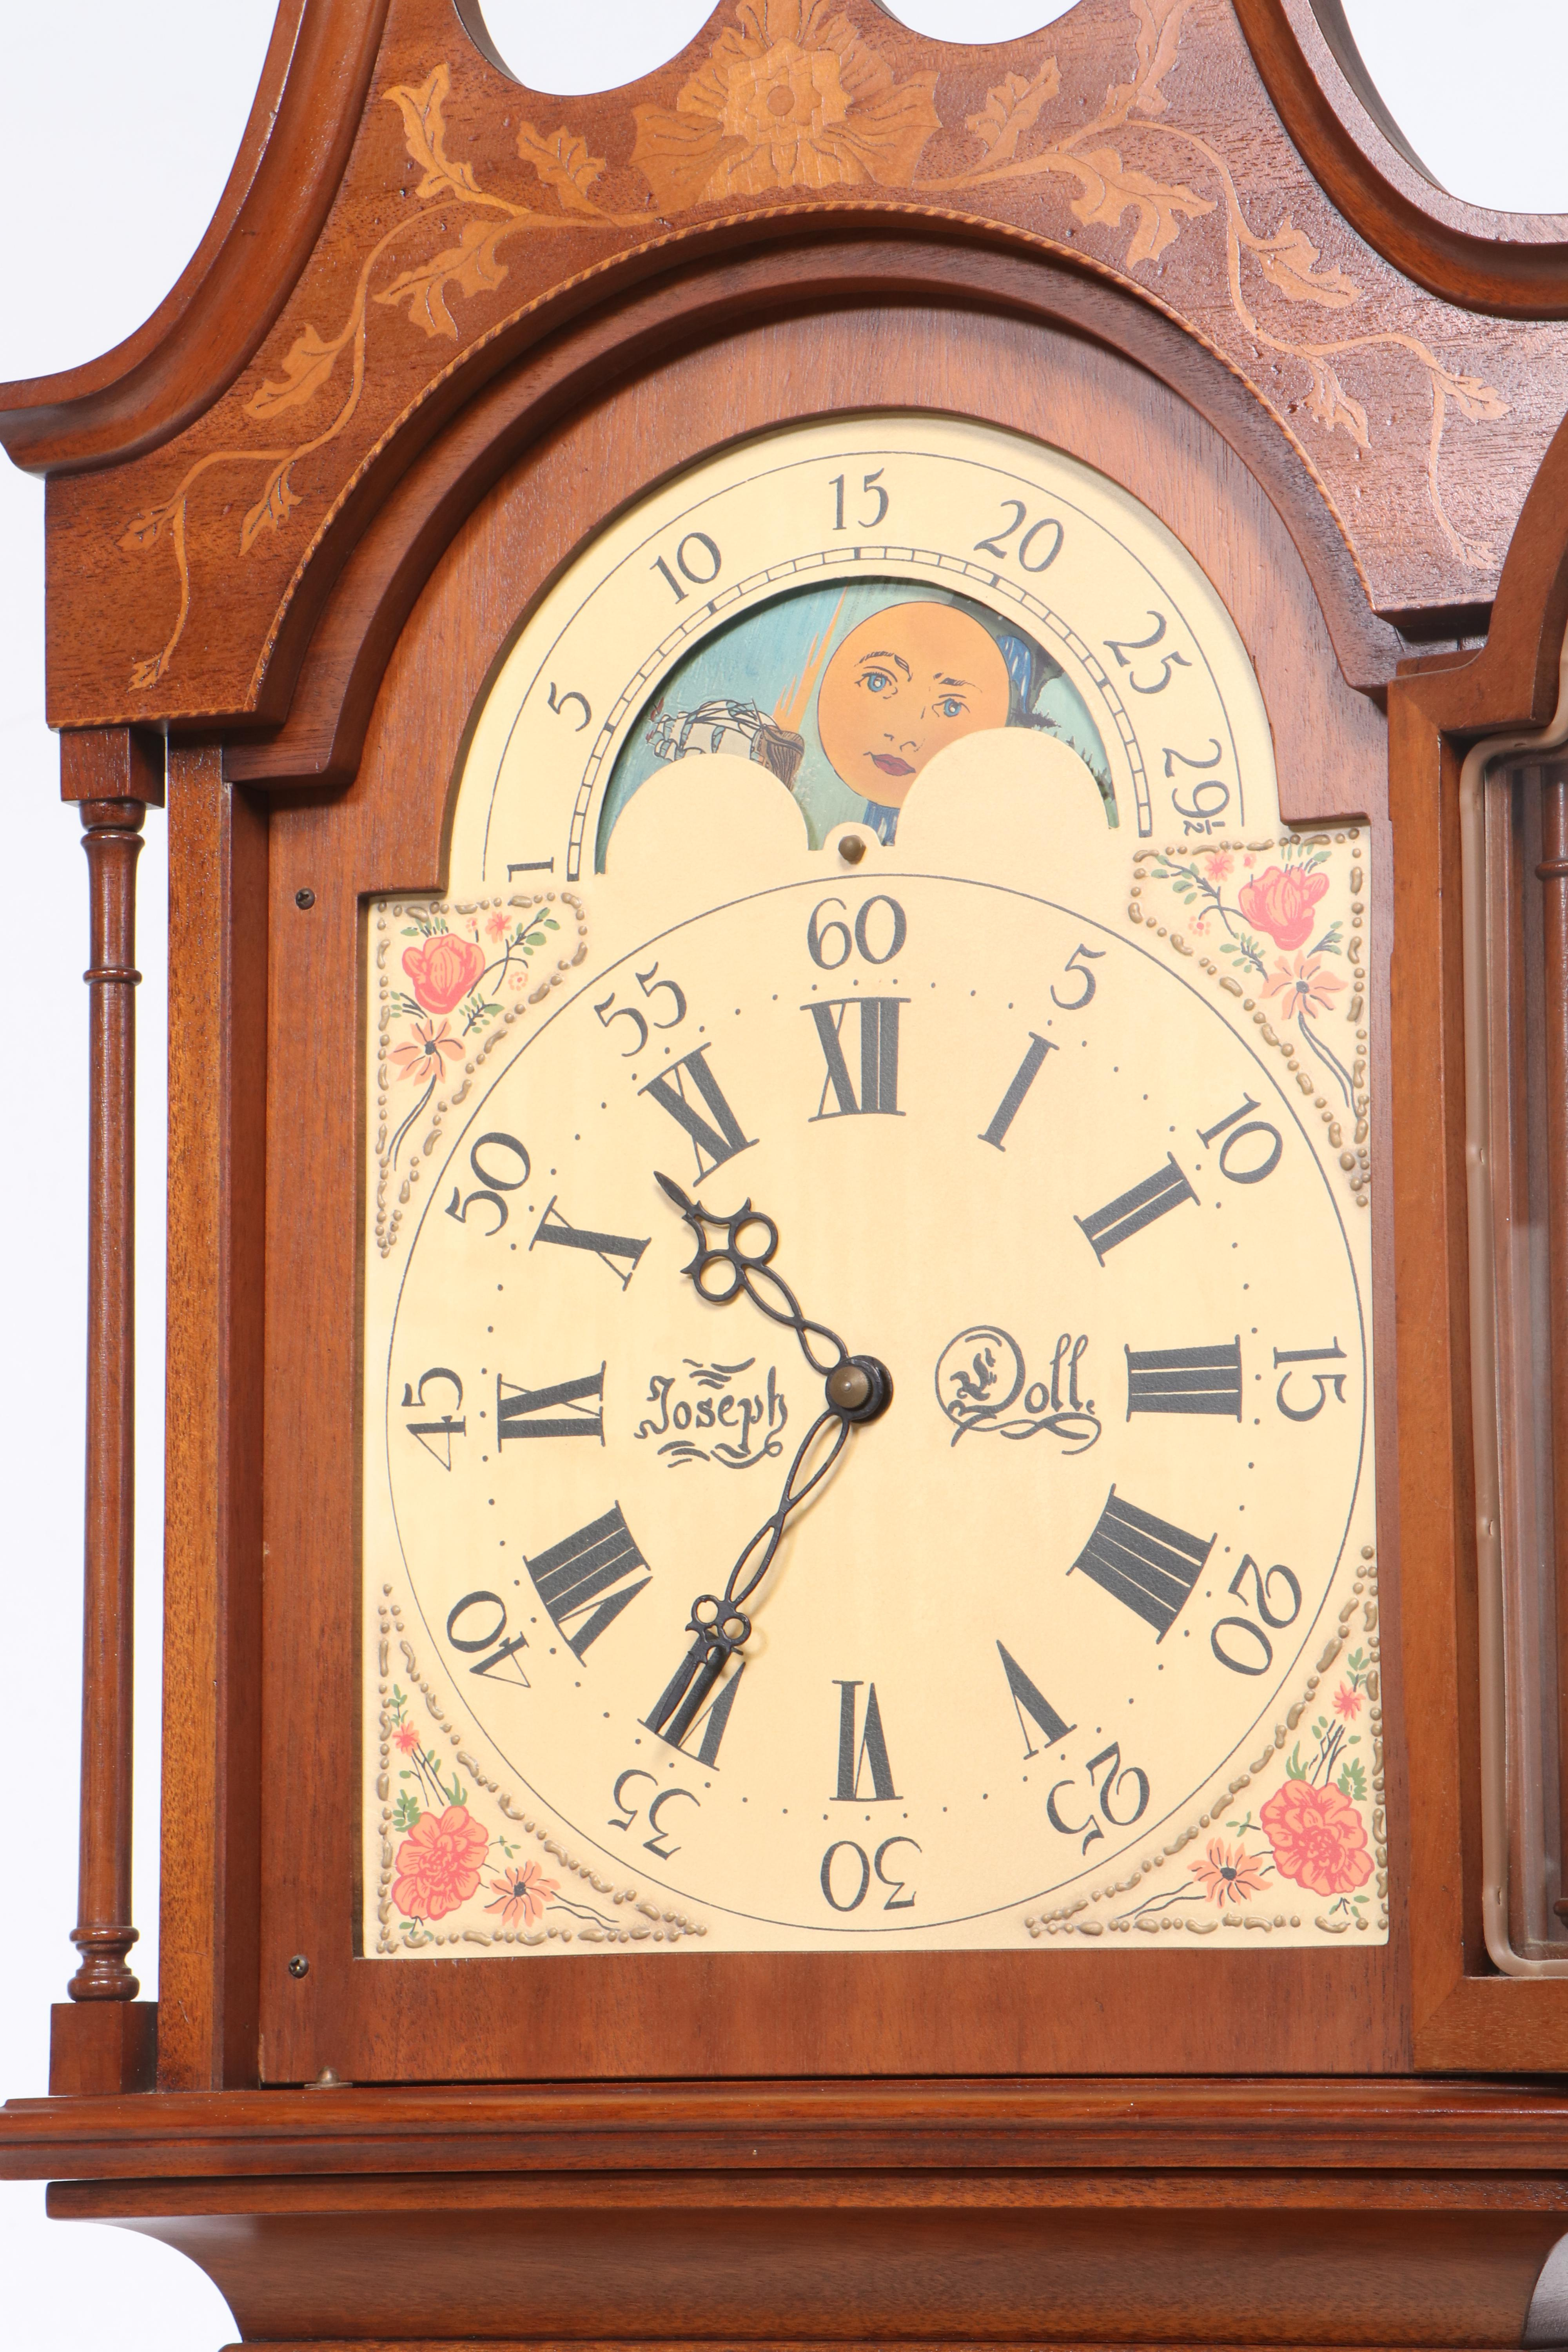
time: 10:35
